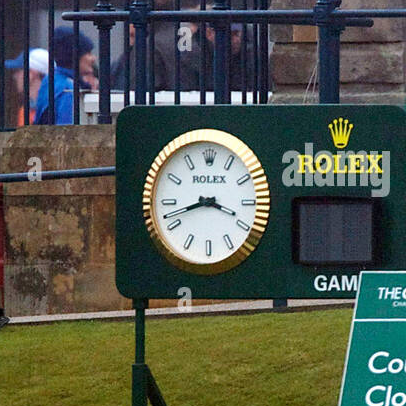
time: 3:42
